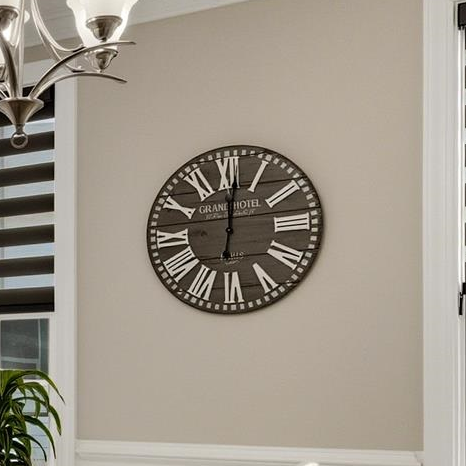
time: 12:01
